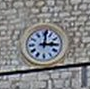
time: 3:01
